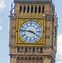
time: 3:46
